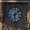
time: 6:08
